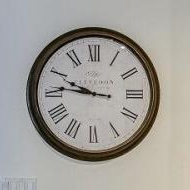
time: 9:45
